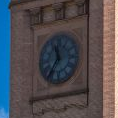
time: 11:35
